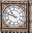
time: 10:48
